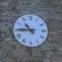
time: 10:45
